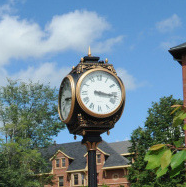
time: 3:16
